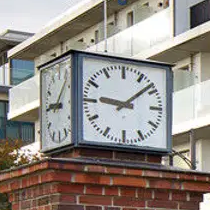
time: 9:08
